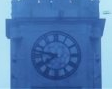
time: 7:46
